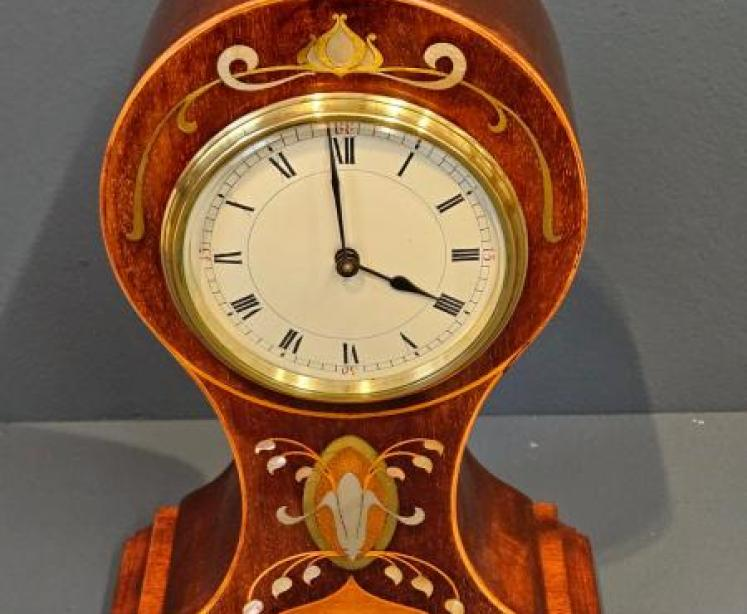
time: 3:58
